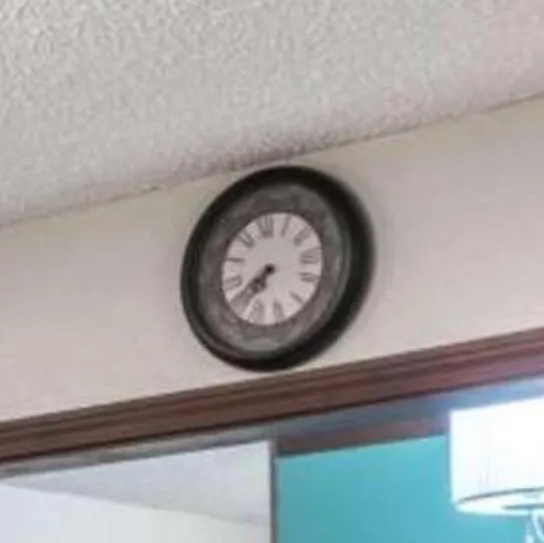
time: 7:40
